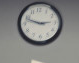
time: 2:48
